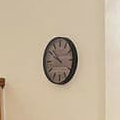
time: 9:51
